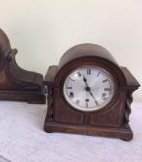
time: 11:25
